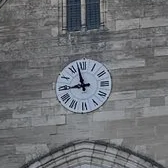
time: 8:57
